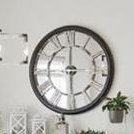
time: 5:59
